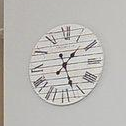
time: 1:26
